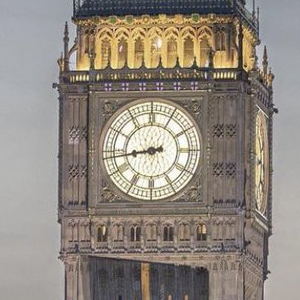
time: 8:43
